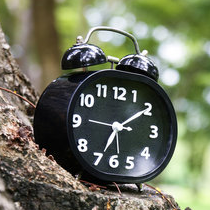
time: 7:09
